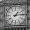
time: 1:13
